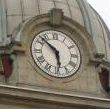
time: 5:52
